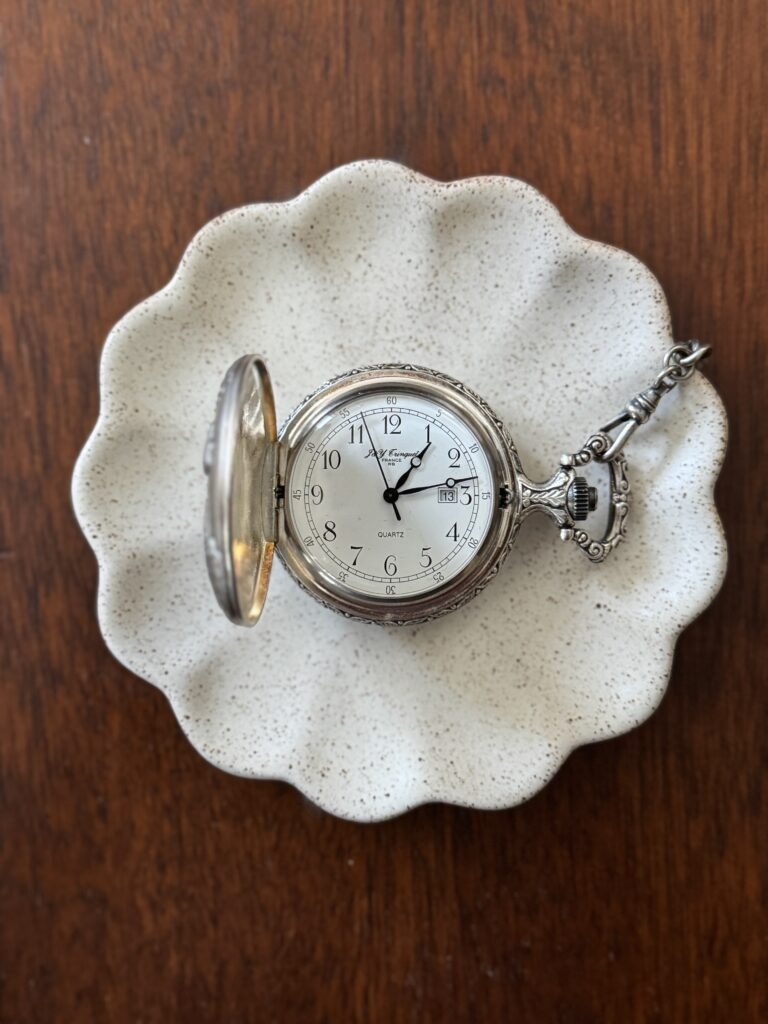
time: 1:13
